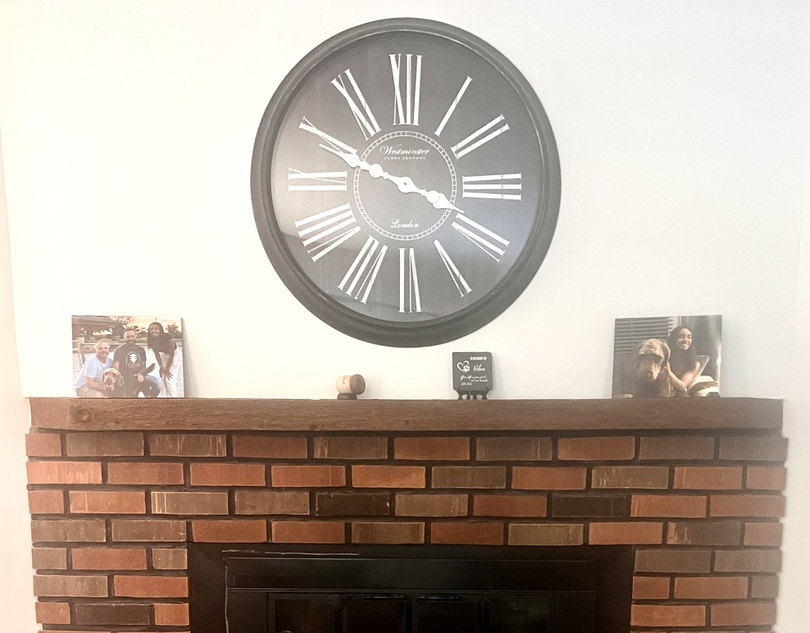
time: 3:49
